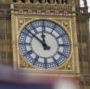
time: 11:51
